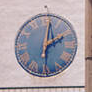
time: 2:01
